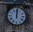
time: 12:00
